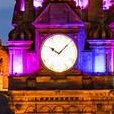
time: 10:07
